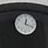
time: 12:17
